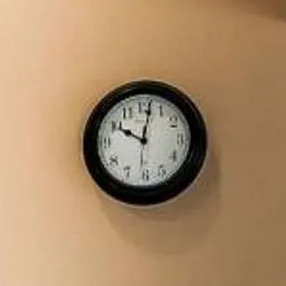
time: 10:01
